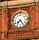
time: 7:24
